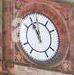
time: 11:55
